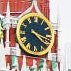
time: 4:17
